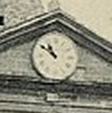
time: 10:50
